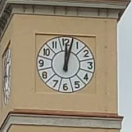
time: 12:02
